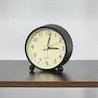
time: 3:02
